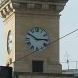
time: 2:50
